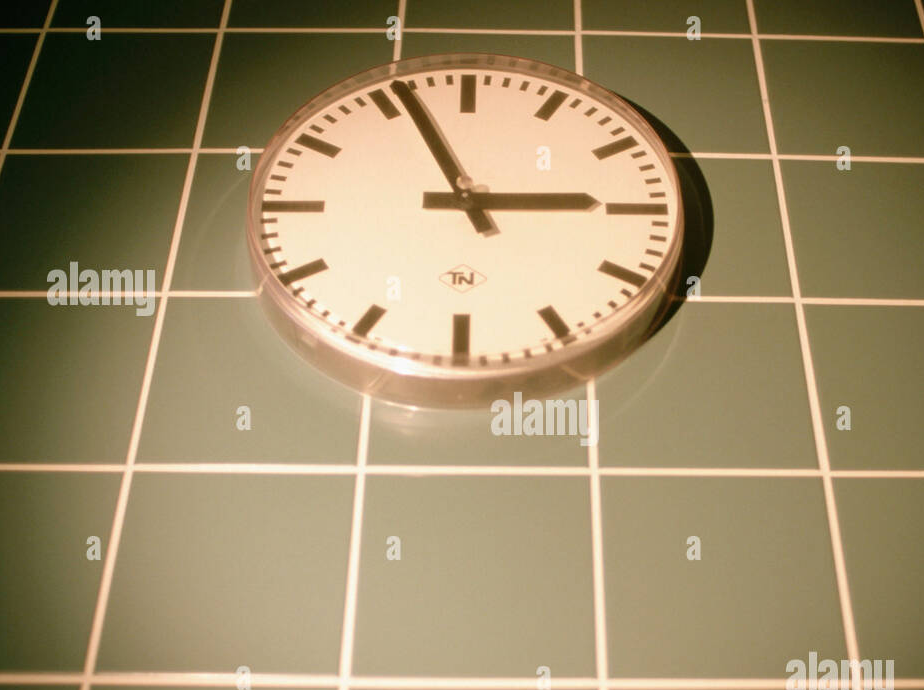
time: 2:56
